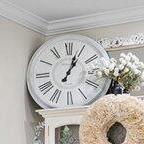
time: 1:03
